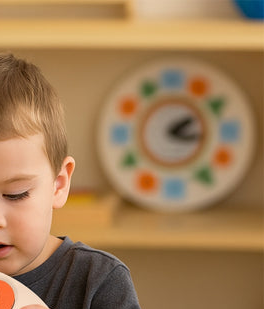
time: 3:09
